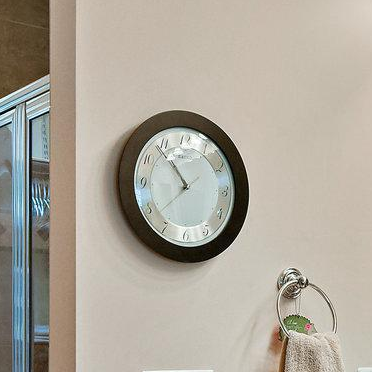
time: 10:53
